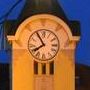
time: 7:54
